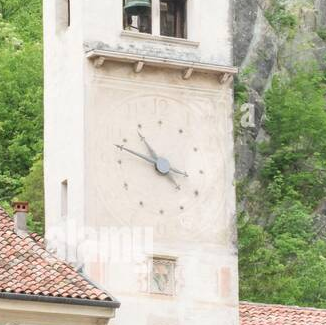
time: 10:48
